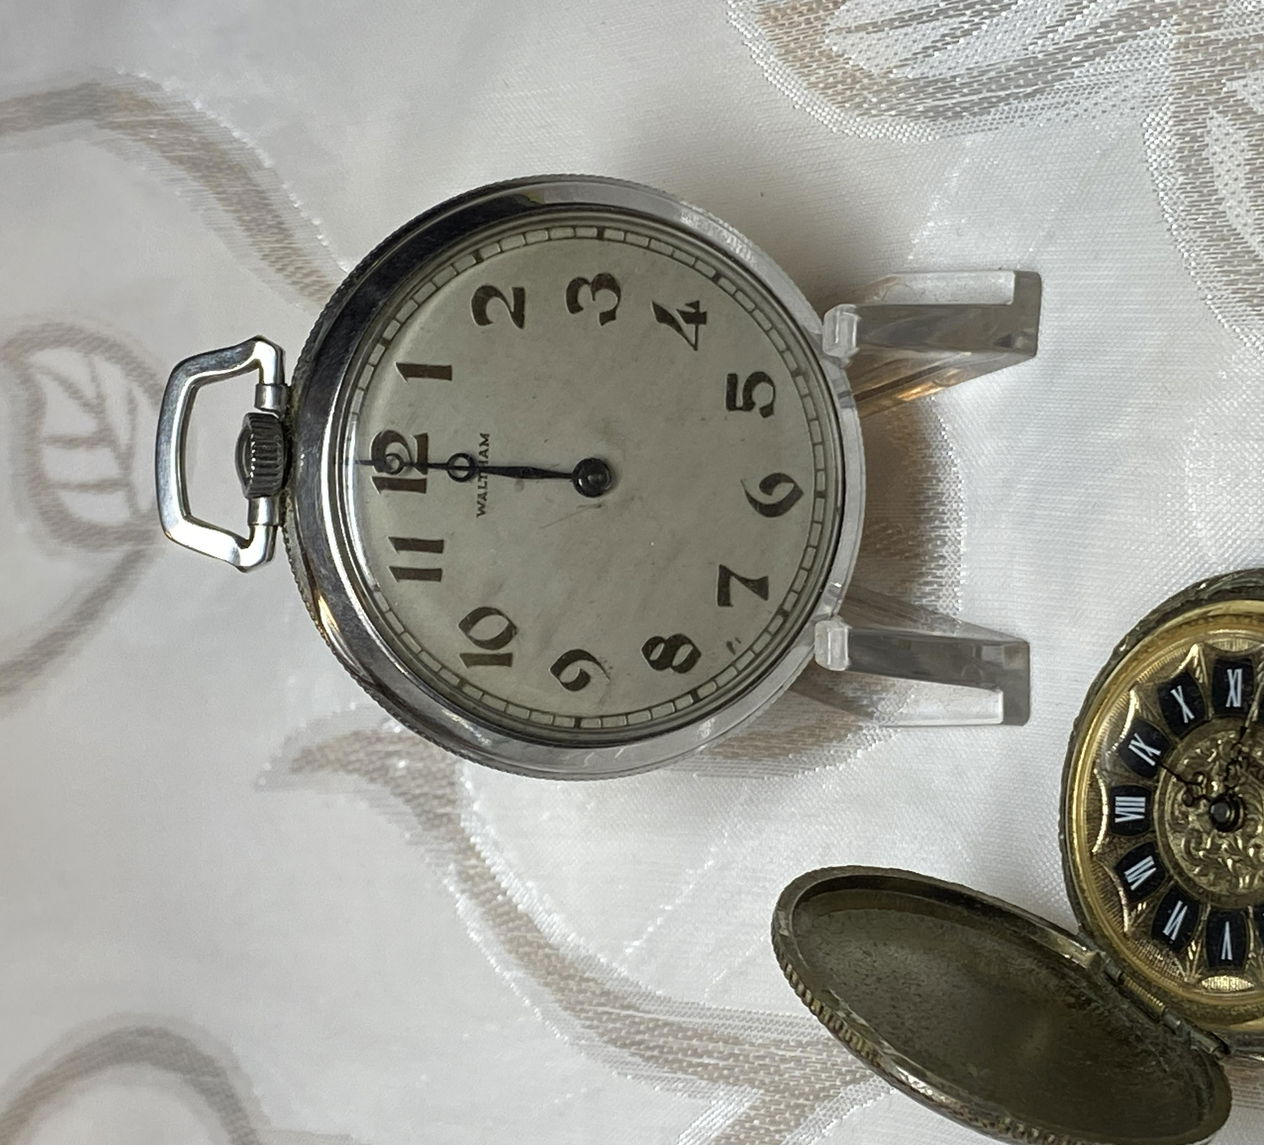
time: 8:44
